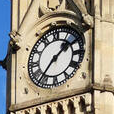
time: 1:36
